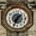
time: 1:34
